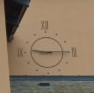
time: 9:15
